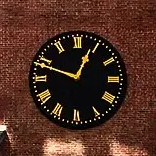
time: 12:48
